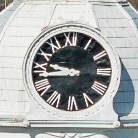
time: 9:44
